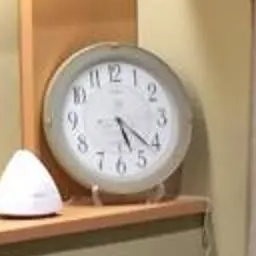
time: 5:21
